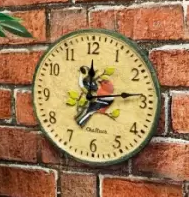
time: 12:13
